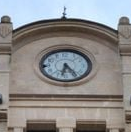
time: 6:24
